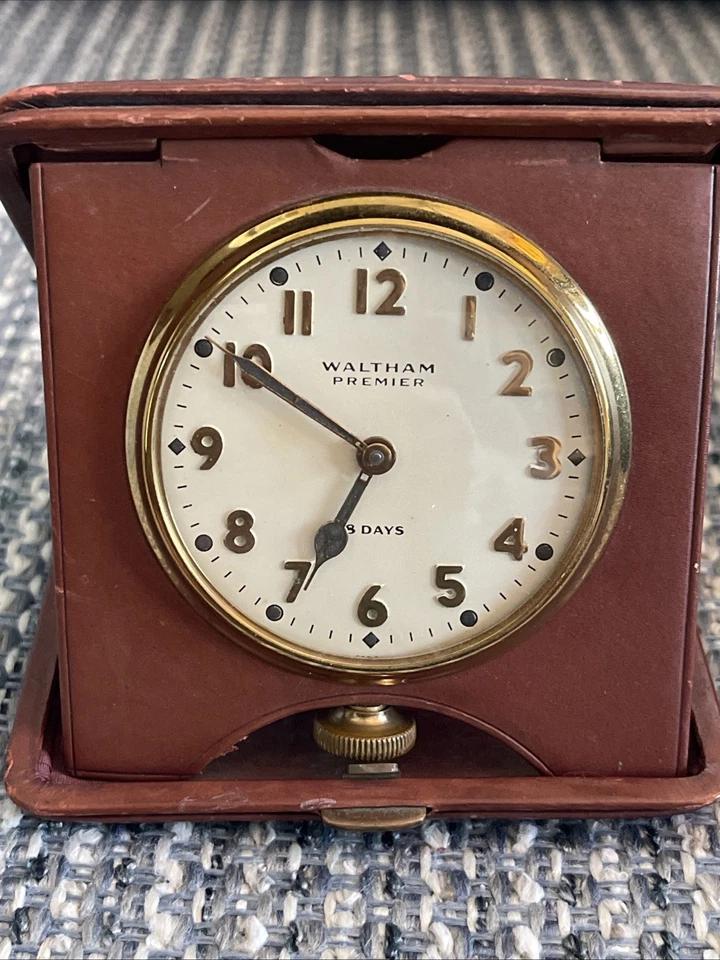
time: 6:50
